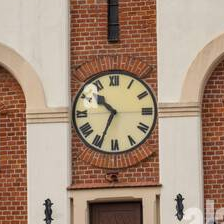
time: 10:34
